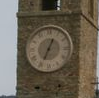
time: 12:34
